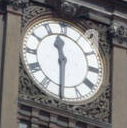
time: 11:30
